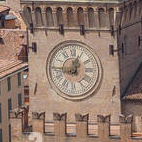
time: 12:45
